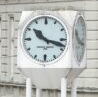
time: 10:17
